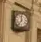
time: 11:37
